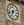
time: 6:41
